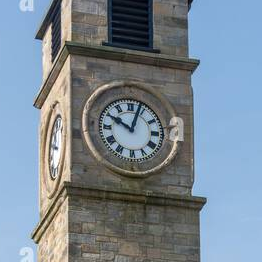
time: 10:03
